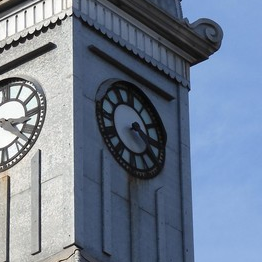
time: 3:22
